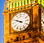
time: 9:48
